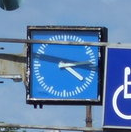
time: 4:14
